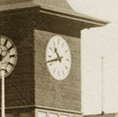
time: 10:42
